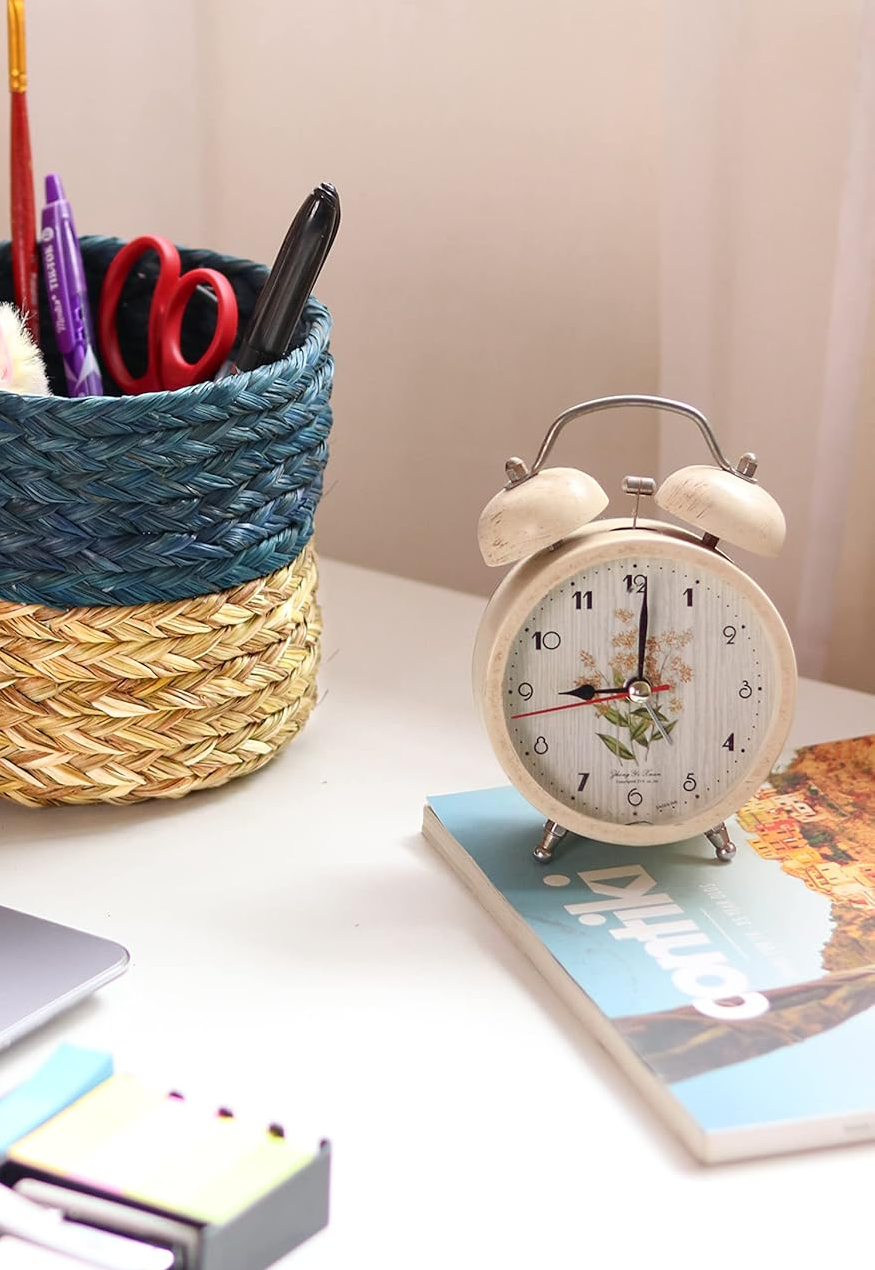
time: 9:01
